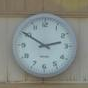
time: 2:50
